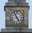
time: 4:54
